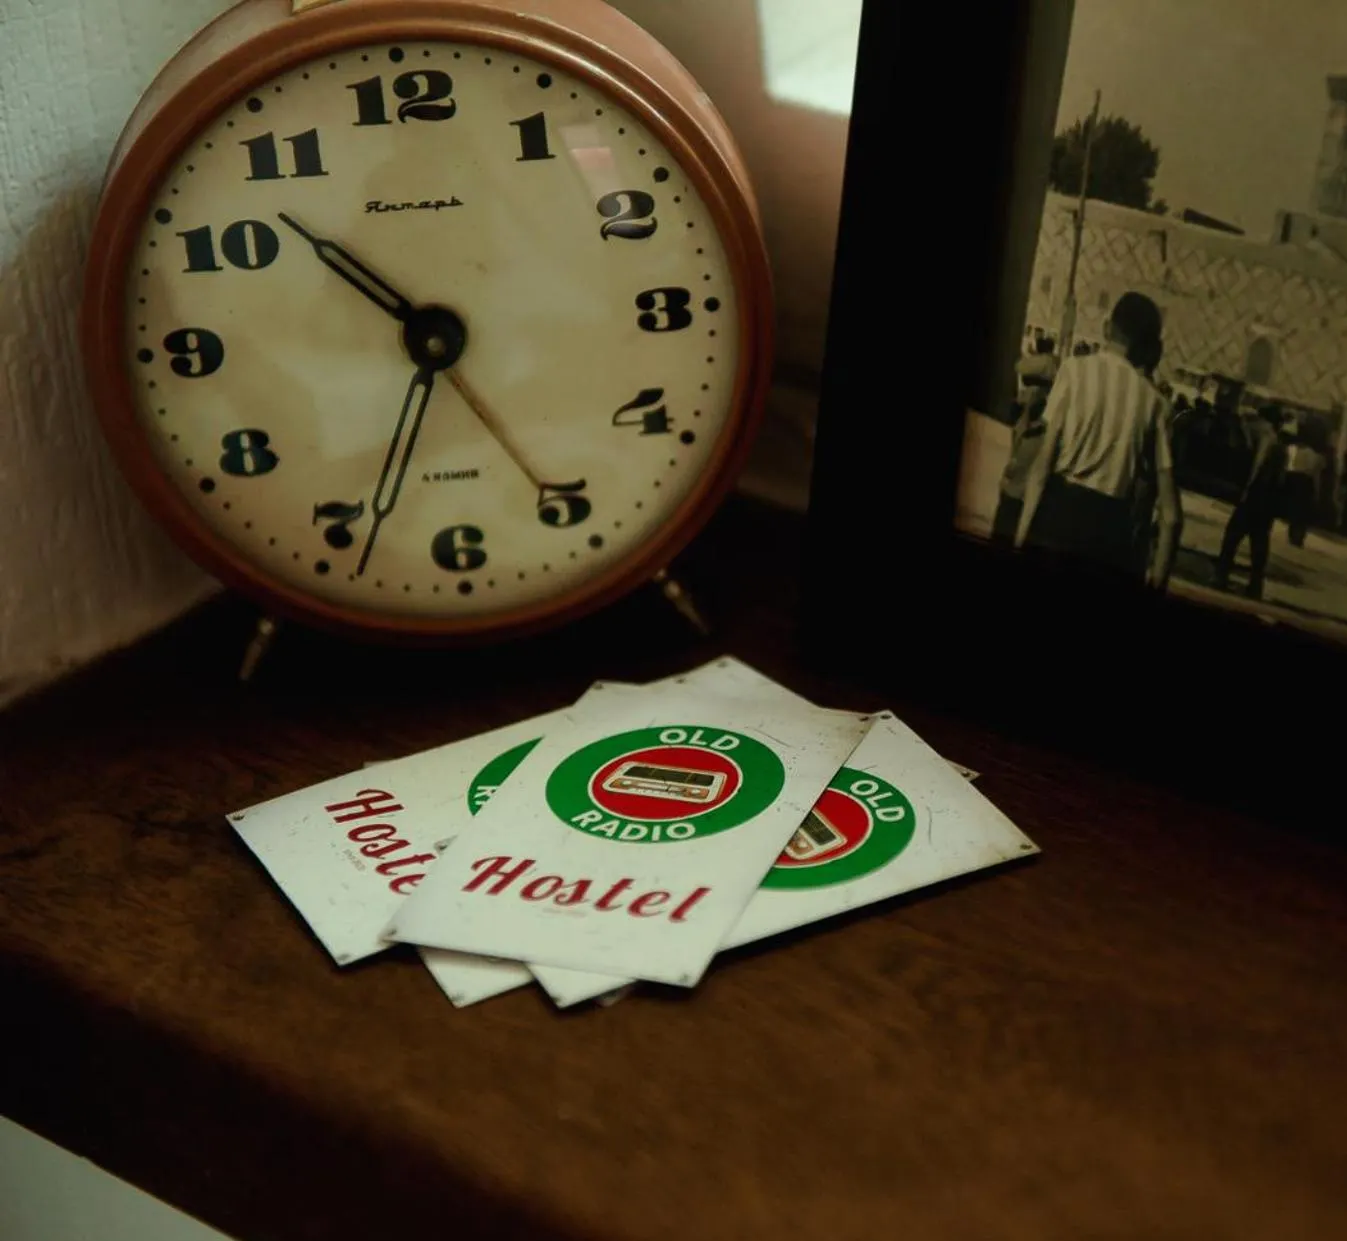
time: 10:34
